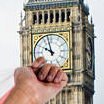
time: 9:57
